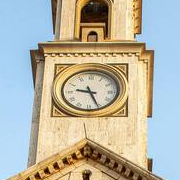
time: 9:26
